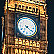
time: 4:21
